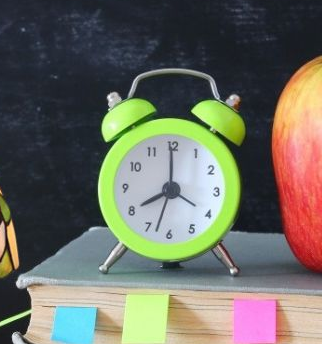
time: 8:00
